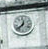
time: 12:37
